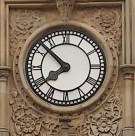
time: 7:52
